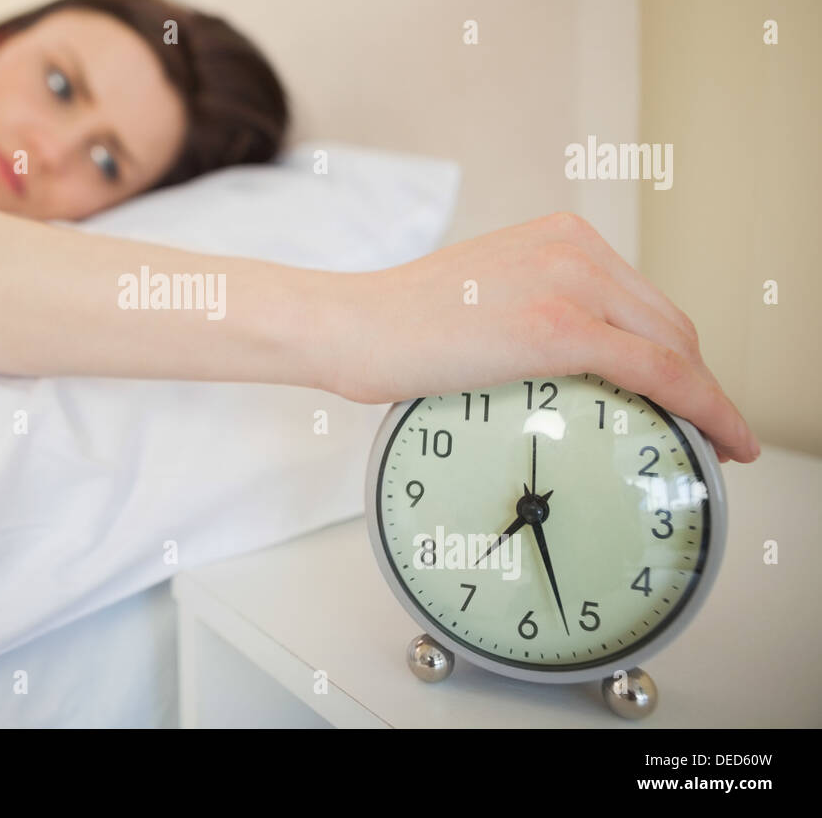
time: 7:26
